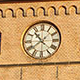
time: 10:39
